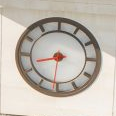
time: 8:31
